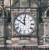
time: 11:50
